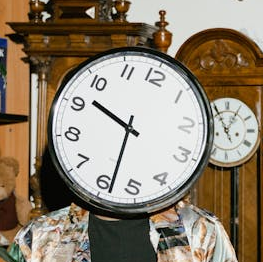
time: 9:28
